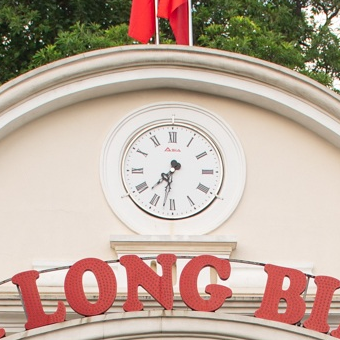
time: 7:32
